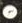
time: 2:34
